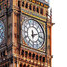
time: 6:11
